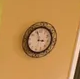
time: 2:56
